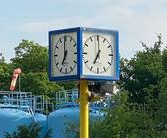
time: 7:00
